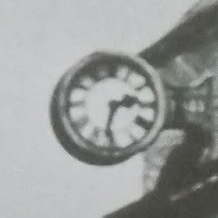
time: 2:32
